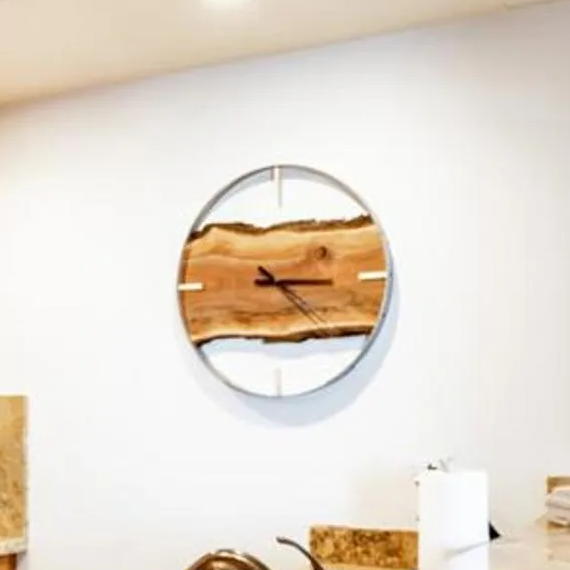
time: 3:22
